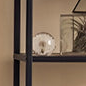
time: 8:32
